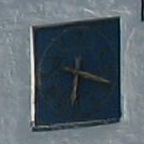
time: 6:18
